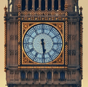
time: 5:29
